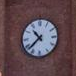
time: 10:37
